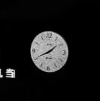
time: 1:40
